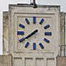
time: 7:38
